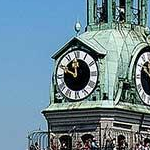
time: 11:49
